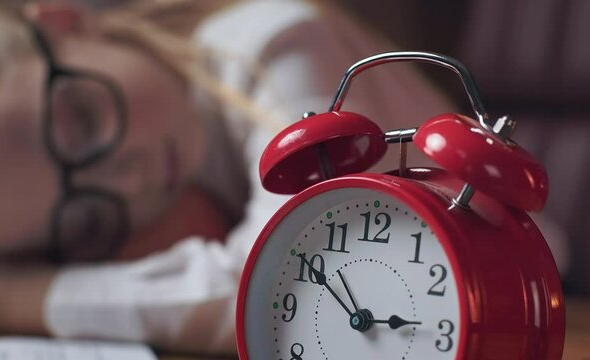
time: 2:50
